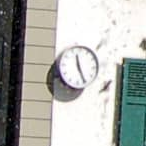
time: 11:25
